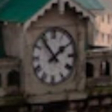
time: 1:53
